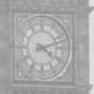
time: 4:11
